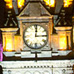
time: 12:14
